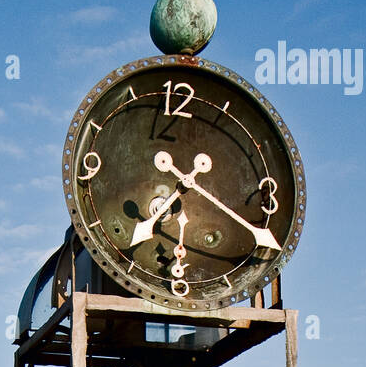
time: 7:20
